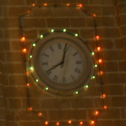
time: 8:03
